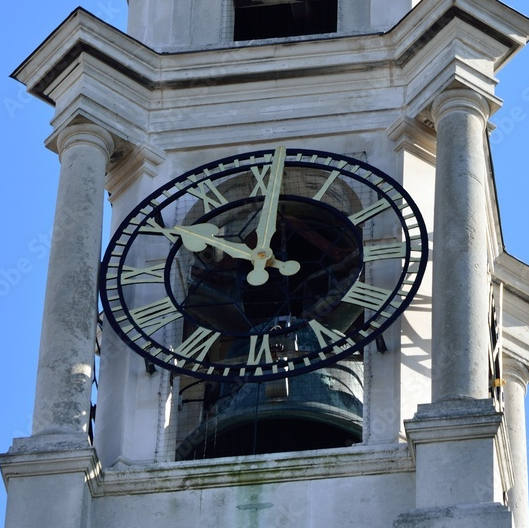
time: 10:00
